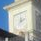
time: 1:37
